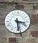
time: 3:28
